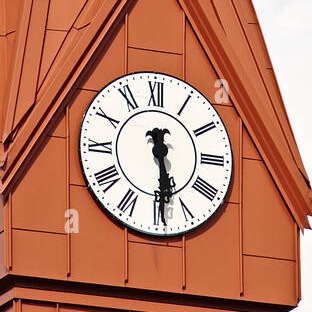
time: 5:29
